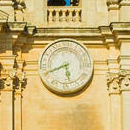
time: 5:40
